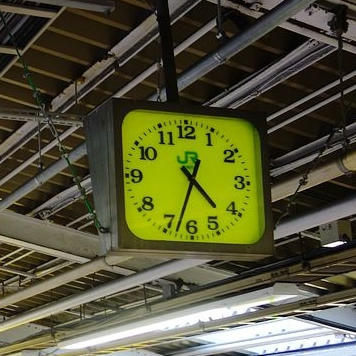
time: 4:33
